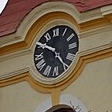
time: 4:50
